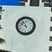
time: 10:48
